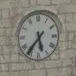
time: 5:36
